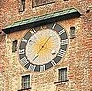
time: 7:06
